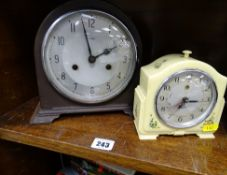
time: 1:58
